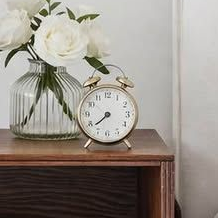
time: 7:38
